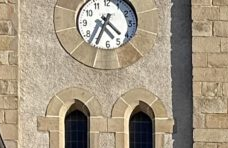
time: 4:34
